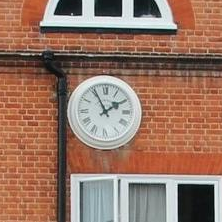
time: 1:55
